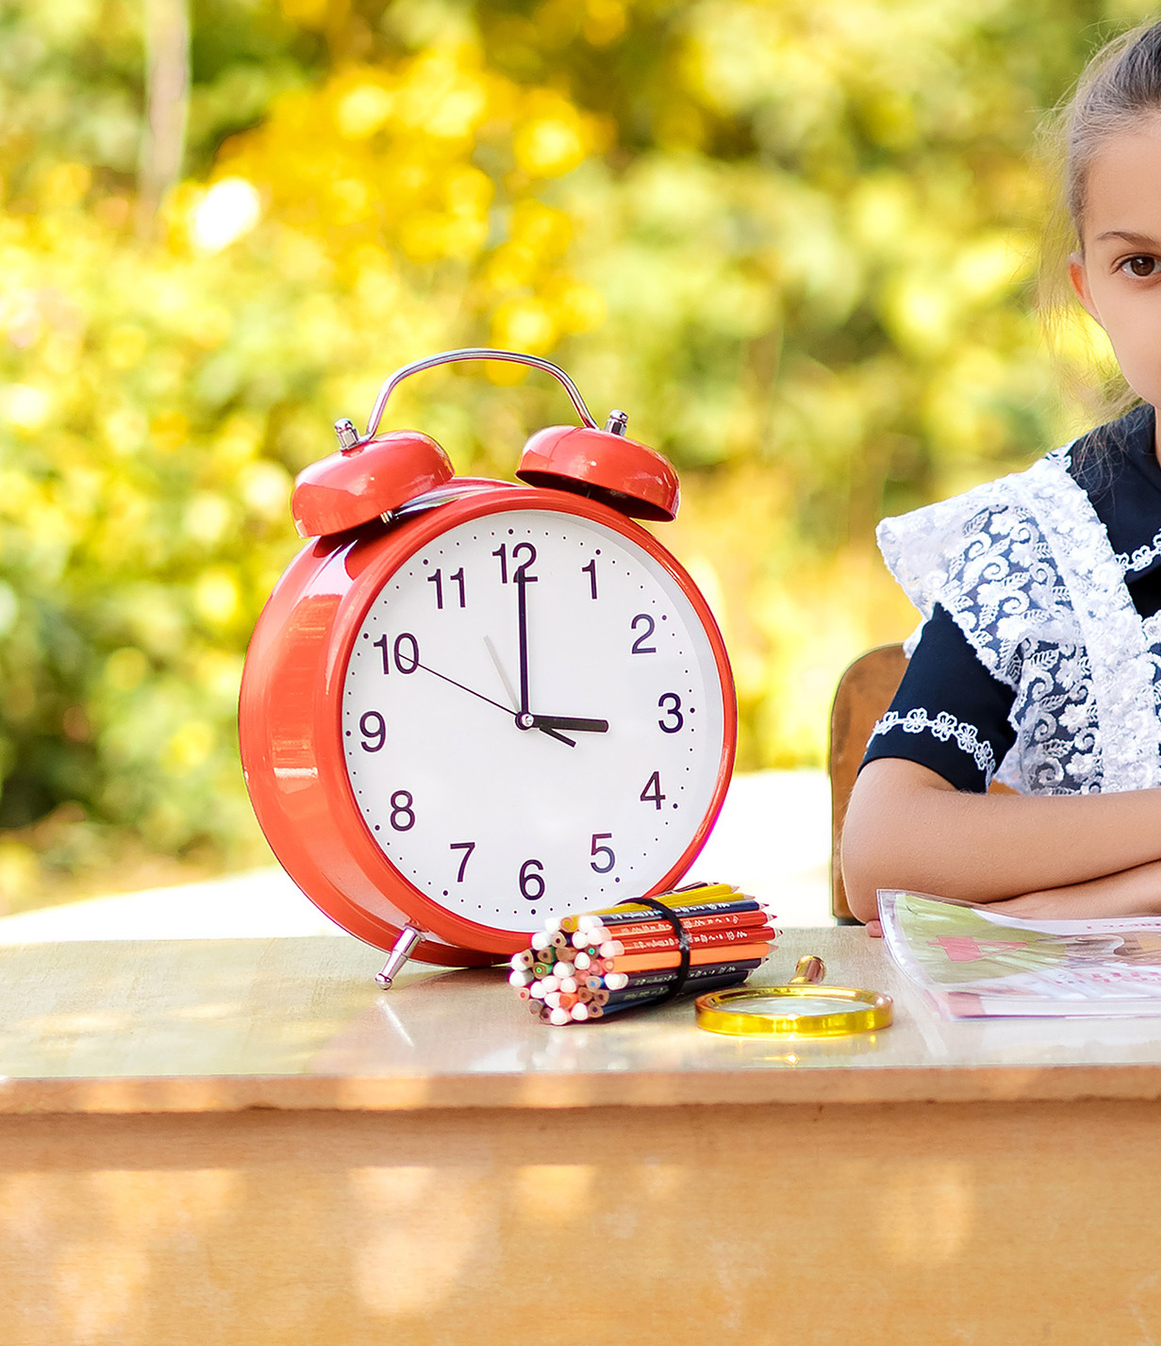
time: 3:00
